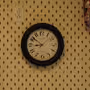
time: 8:51
